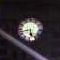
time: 5:42
